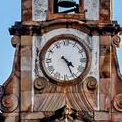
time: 4:26
